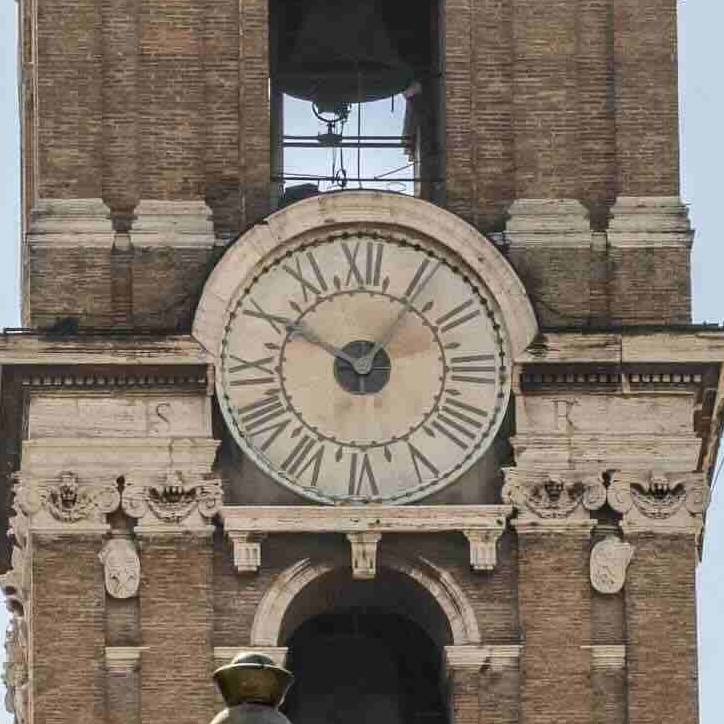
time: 10:05
